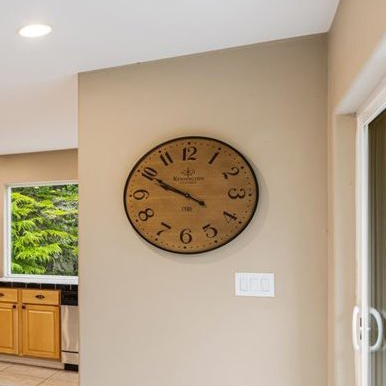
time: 9:49
